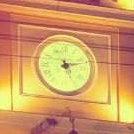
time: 5:12
